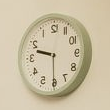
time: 9:30
